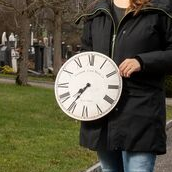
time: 7:35
